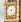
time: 8:27
